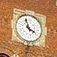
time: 3:58
